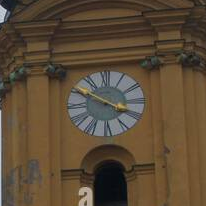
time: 3:49
